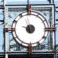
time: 9:57
